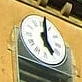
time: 5:01
